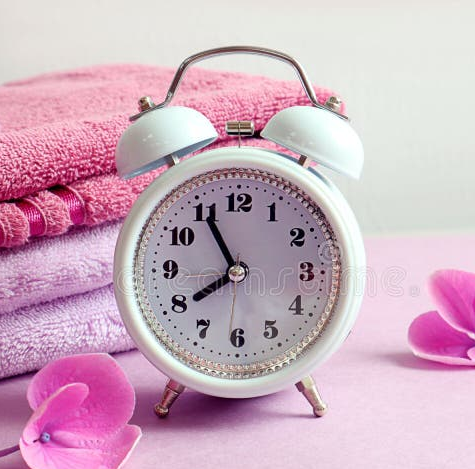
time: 7:55
